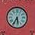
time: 5:35
